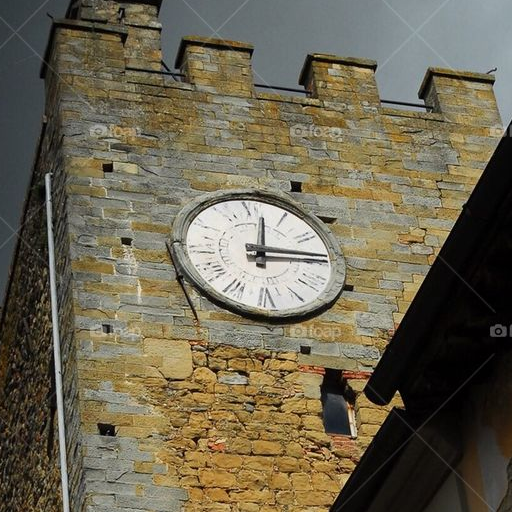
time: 12:14
